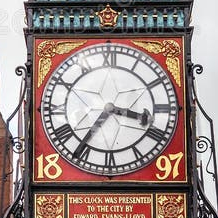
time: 3:36
